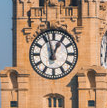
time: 12:57
